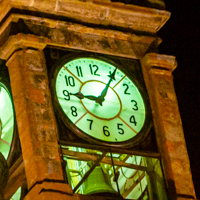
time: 9:05
